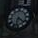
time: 6:21
